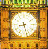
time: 8:27
